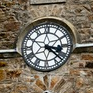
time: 3:21
